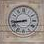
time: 8:43
